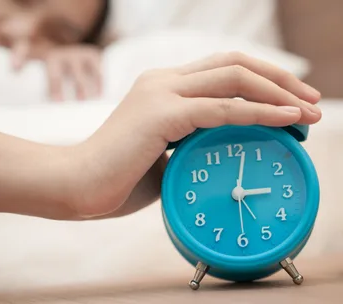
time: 3:01
